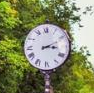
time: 3:11
